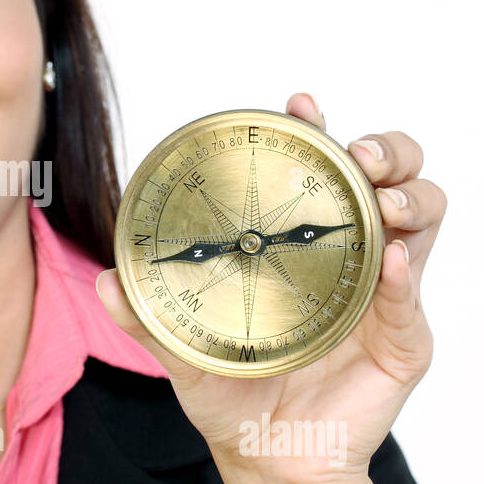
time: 2:43
